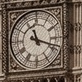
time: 11:18
